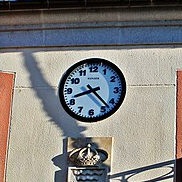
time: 8:22
